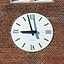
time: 8:57
